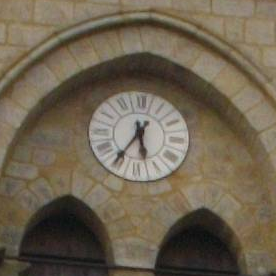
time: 5:35
